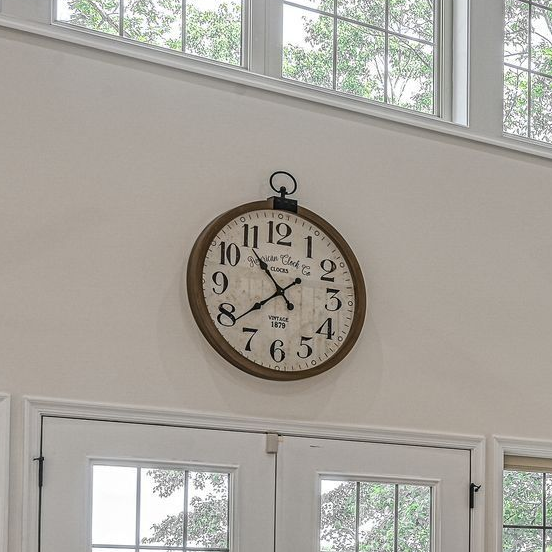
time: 10:38
